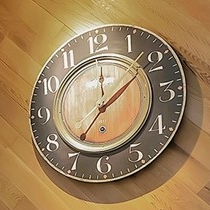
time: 12:09
